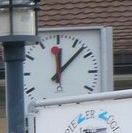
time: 12:07
